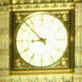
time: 8:52
